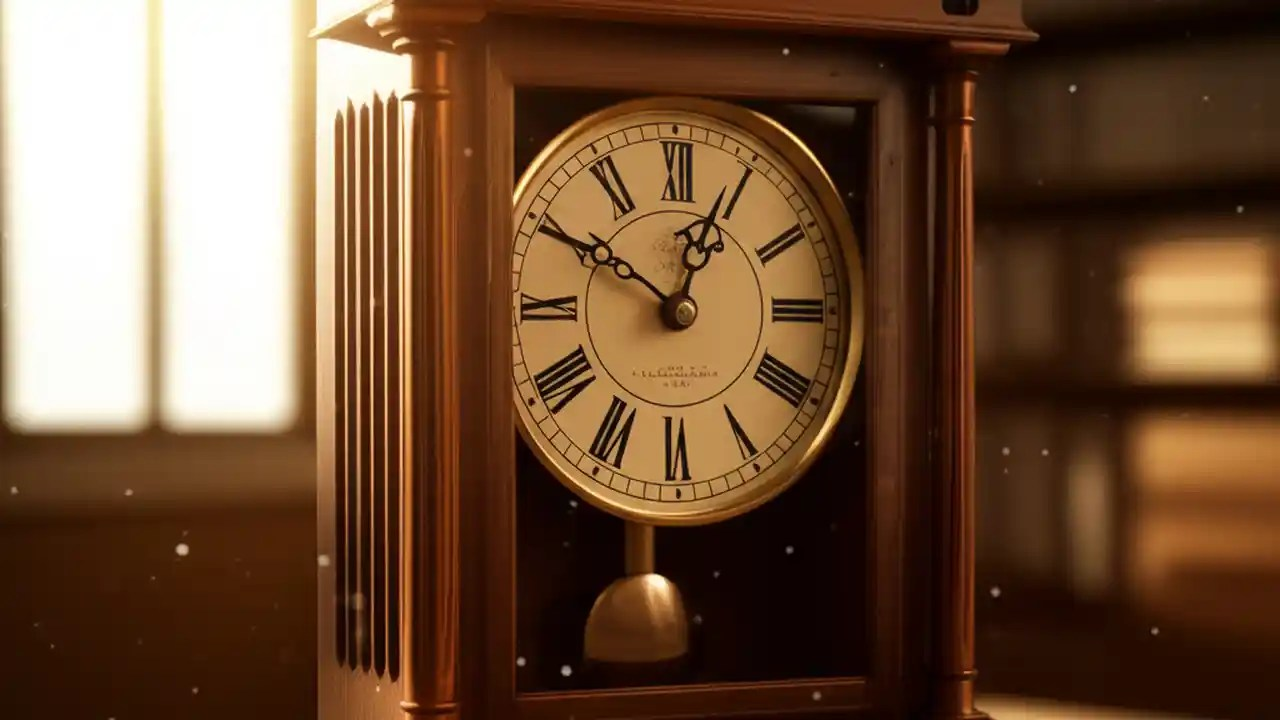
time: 12:49
